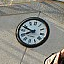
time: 7:48
